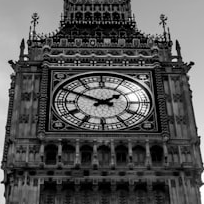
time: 1:49
